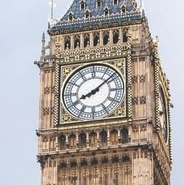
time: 8:08
